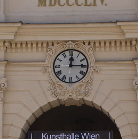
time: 12:14
